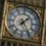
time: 1:24
